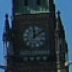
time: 12:09
